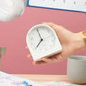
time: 6:56
